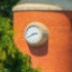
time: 2:40
